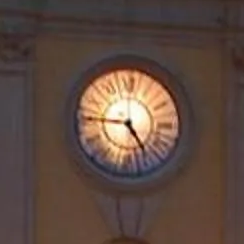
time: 4:45
